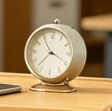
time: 3:54
